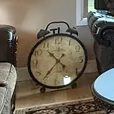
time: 10:36
